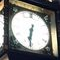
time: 6:31
